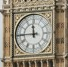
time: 11:44
